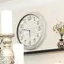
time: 5:47
